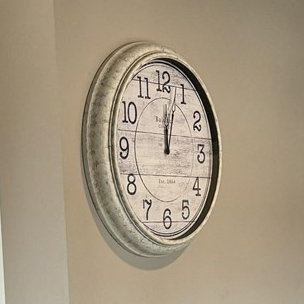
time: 12:02
